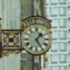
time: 1:24
